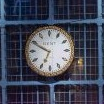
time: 6:49
